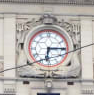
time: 6:15
